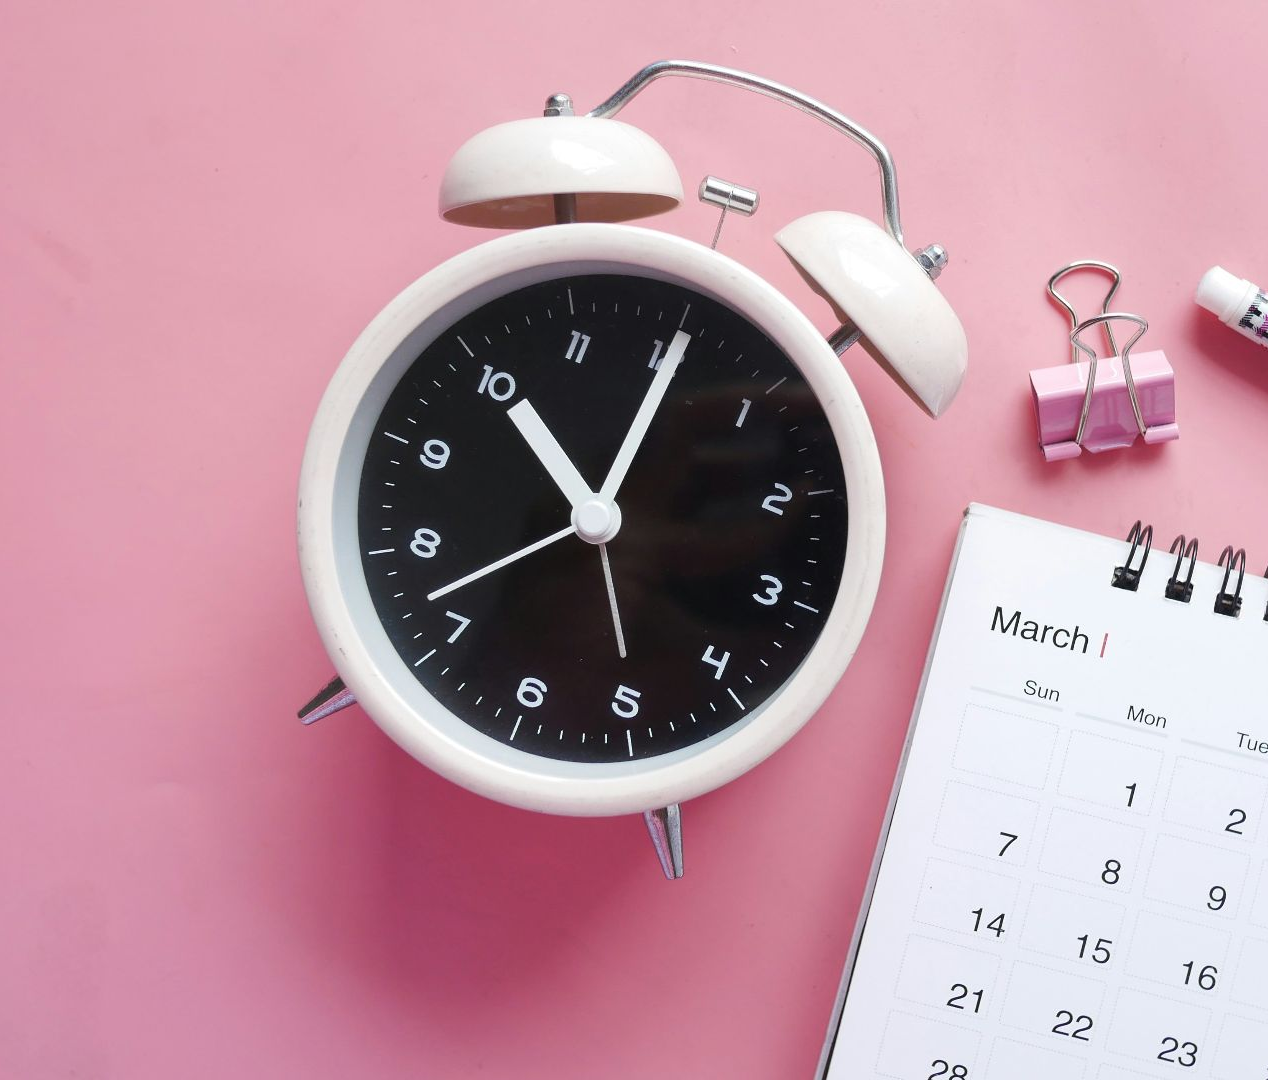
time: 11:05
